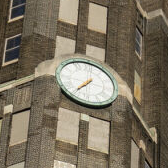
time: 7:36
